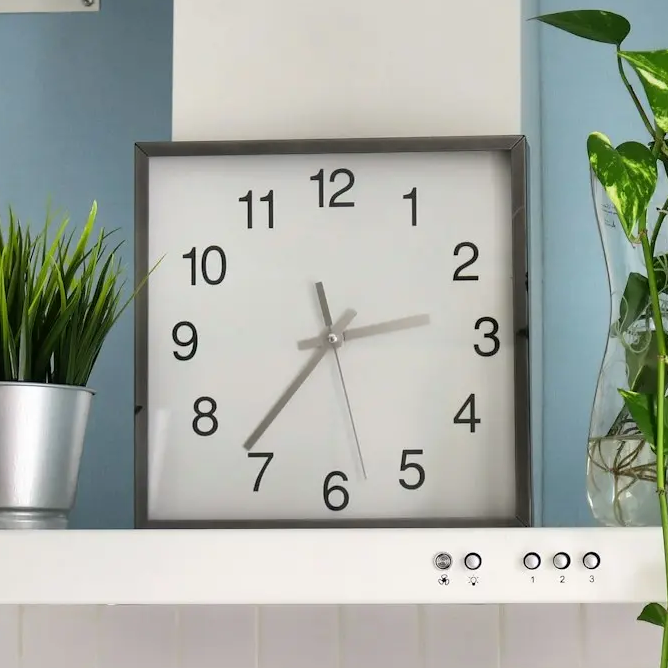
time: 2:36
